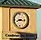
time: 8:16
